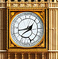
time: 1:42
